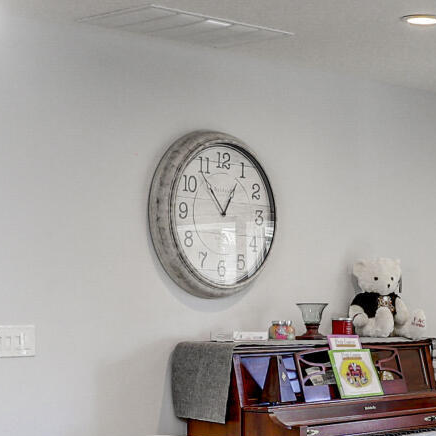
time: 12:53
